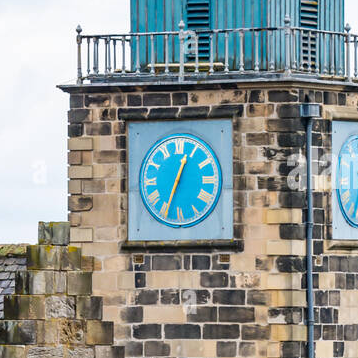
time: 12:34
